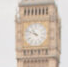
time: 10:48
